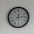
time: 12:13
